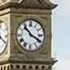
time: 3:52
